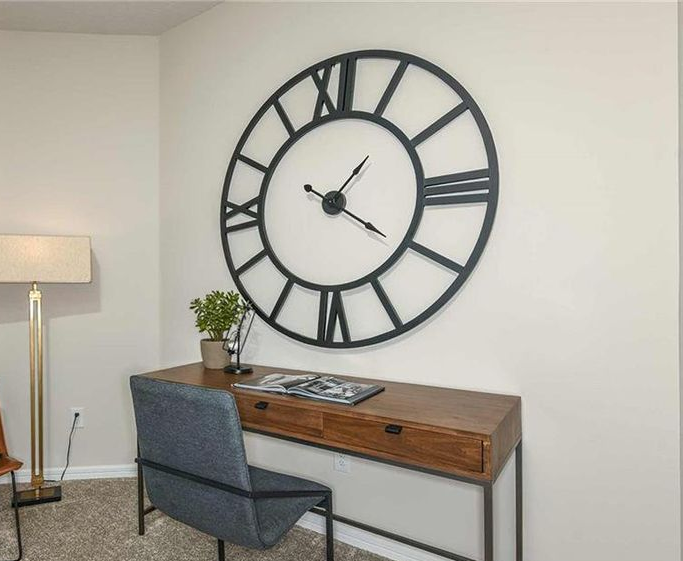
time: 1:20
